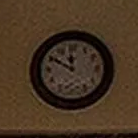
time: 11:50
